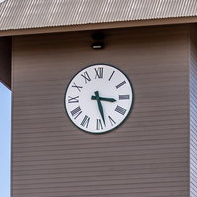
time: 3:27
